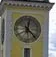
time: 12:22
